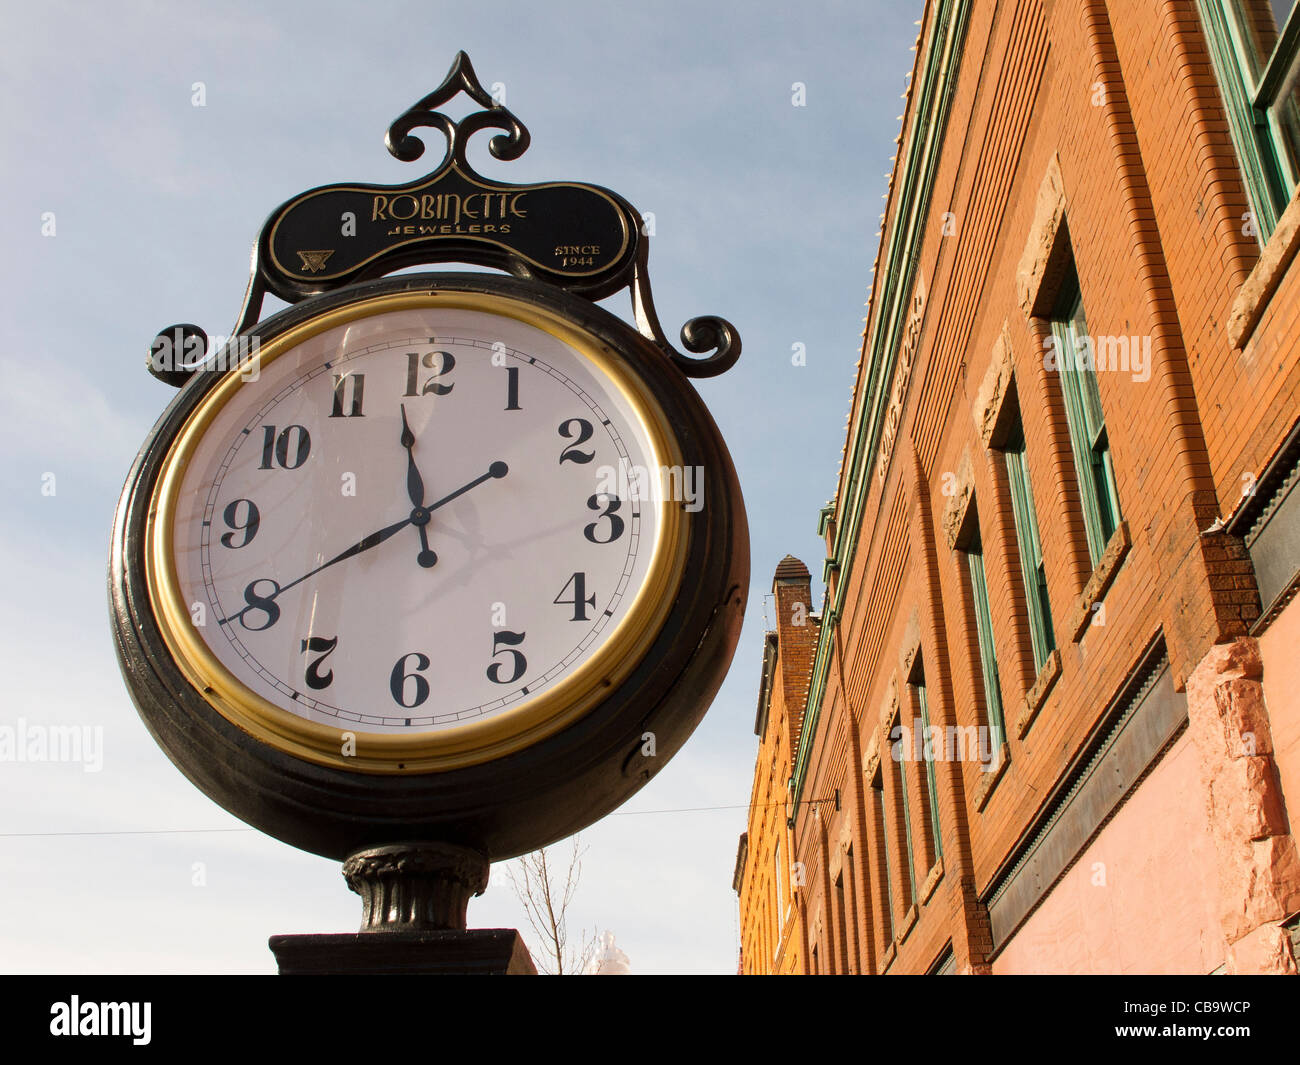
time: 11:40
